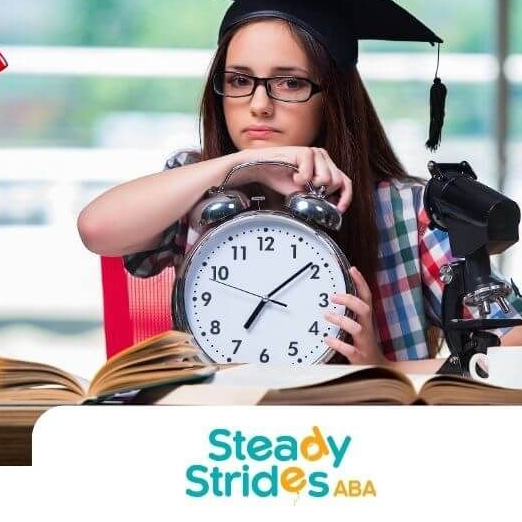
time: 7:08
